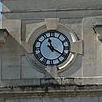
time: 11:20
